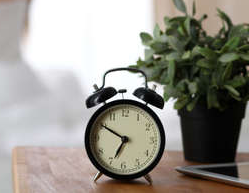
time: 6:50
